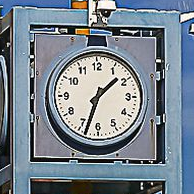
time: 1:33
